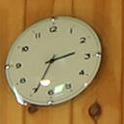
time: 2:34
